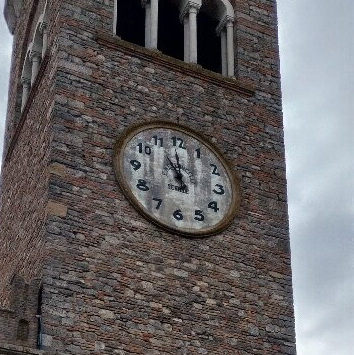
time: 10:59
